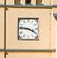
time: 3:46
